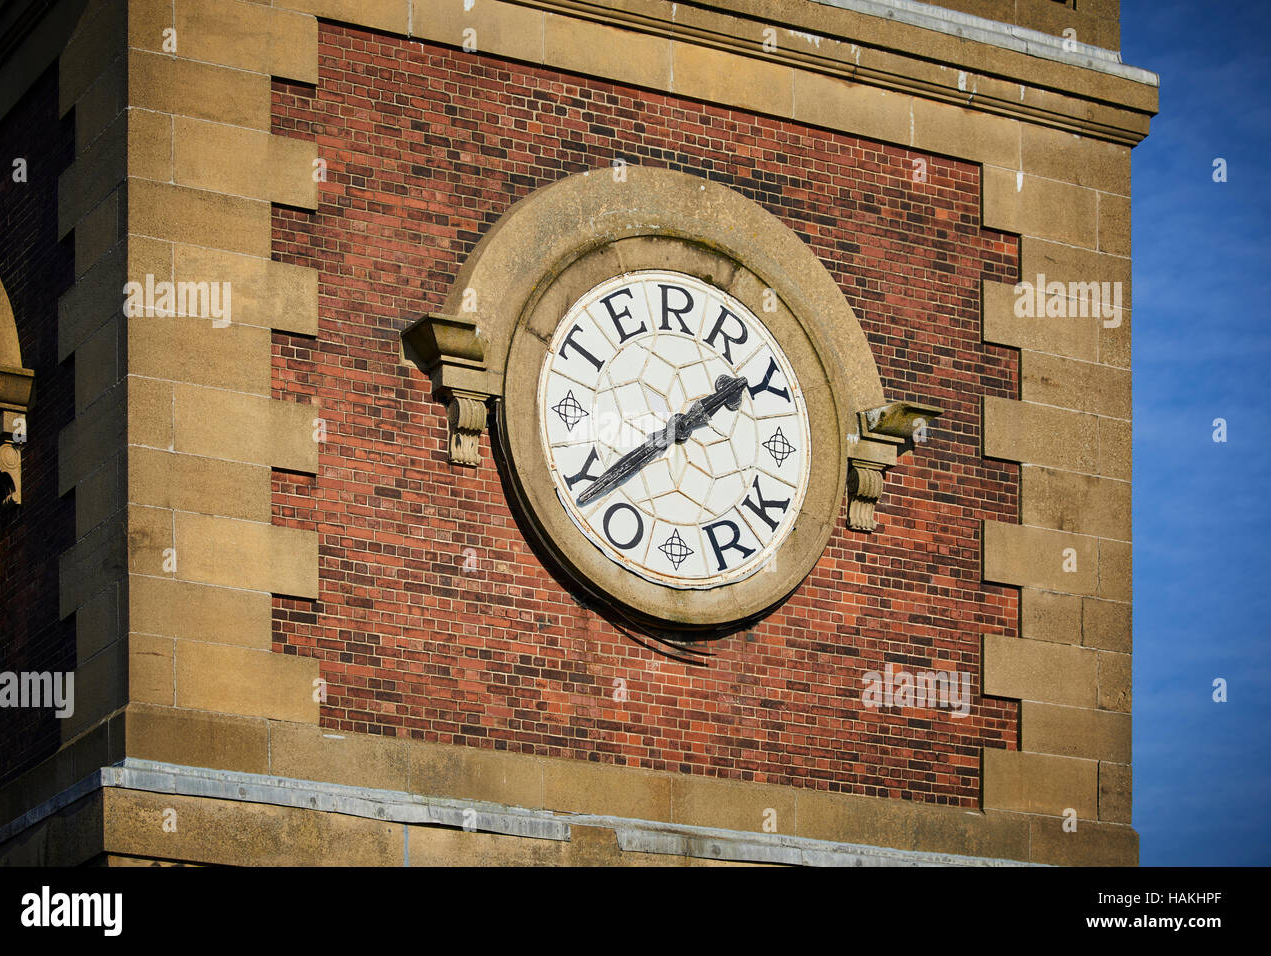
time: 1:38
